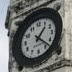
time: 1:22
